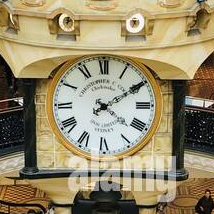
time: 4:09
